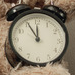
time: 11:55
